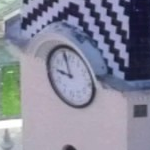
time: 8:56
